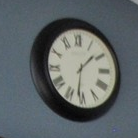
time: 1:31
